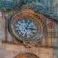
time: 3:04
